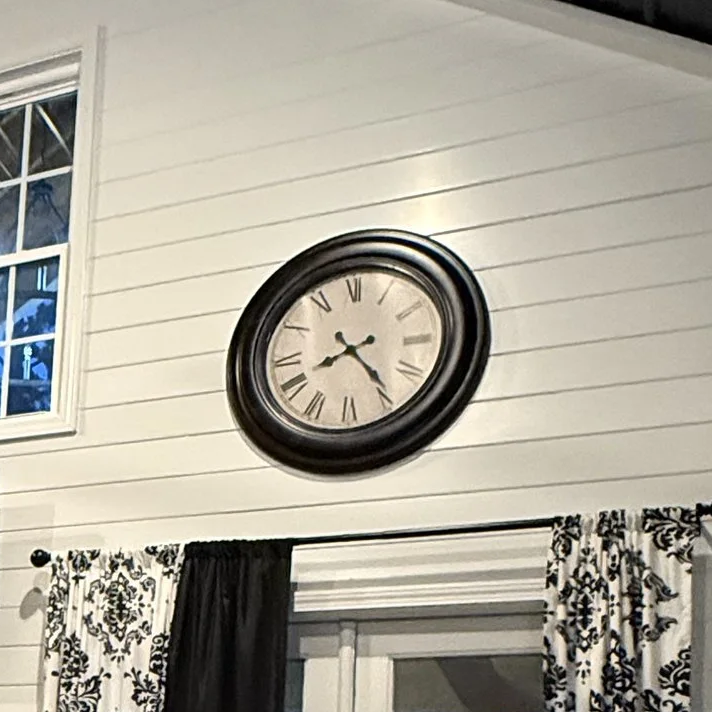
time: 8:23
